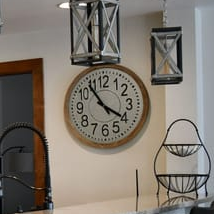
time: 3:54
